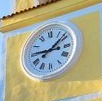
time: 9:08
